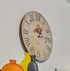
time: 1:14
